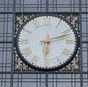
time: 6:11
